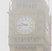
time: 9:43
